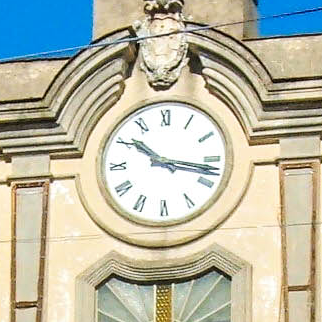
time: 10:17
